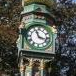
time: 11:17
